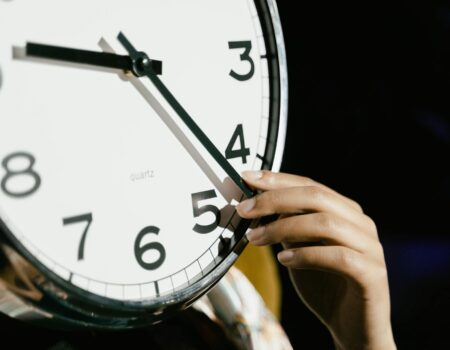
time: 9:22
